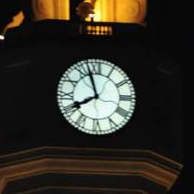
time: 7:57
